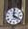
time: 4:01
